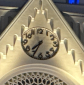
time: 7:34
